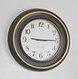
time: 9:15
